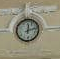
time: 12:12
